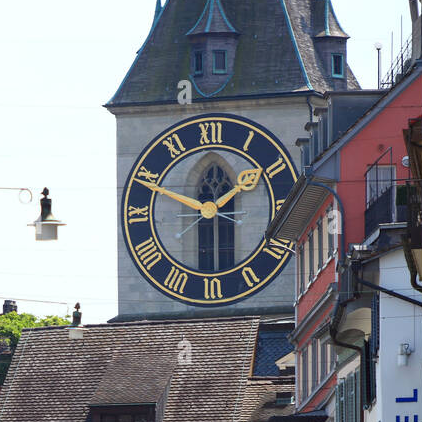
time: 1:49
